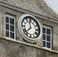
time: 11:37
